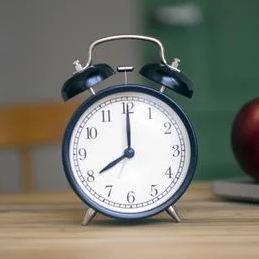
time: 8:00
